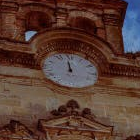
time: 11:58
